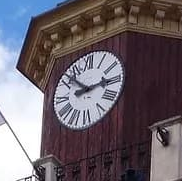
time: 2:52
